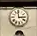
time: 2:59
